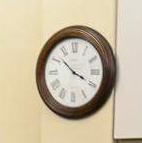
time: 3:52
